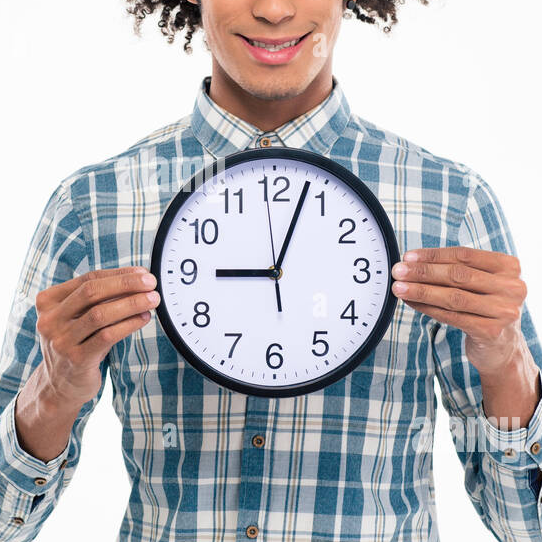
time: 9:03
